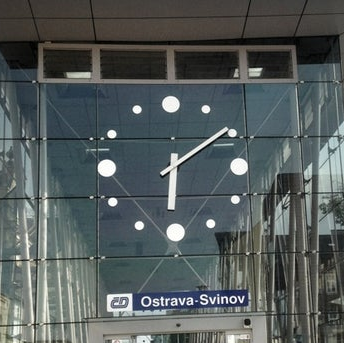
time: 6:08
